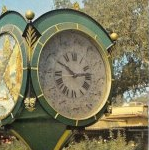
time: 2:49
